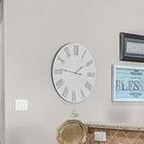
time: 1:46
